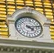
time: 4:12
